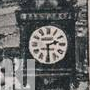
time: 2:29
